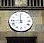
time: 11:45
